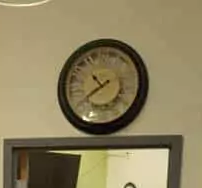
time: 10:39
